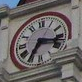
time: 7:17
